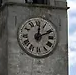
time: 12:10
